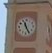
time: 11:25
